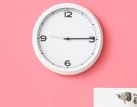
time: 9:14
